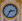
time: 2:35
